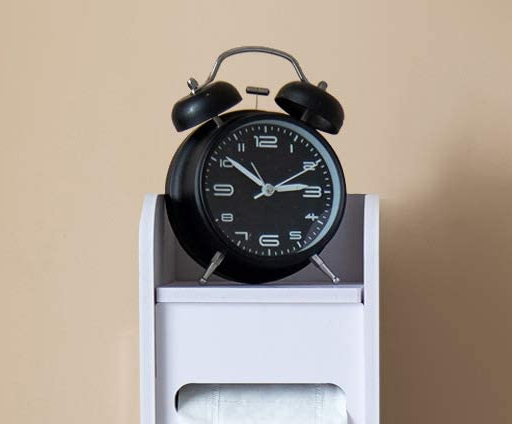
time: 10:14
